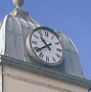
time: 10:38
